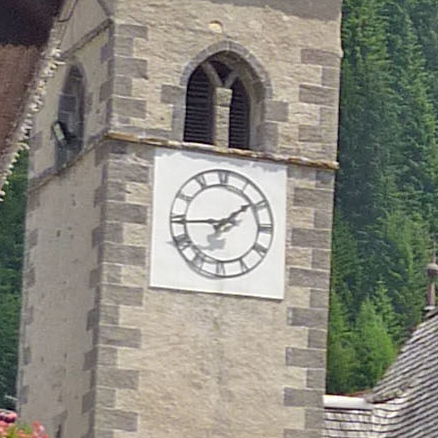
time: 1:44
